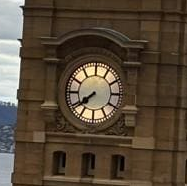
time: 7:39
